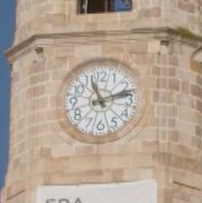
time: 11:12
